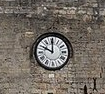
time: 10:00
